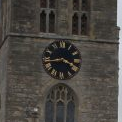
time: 3:43
